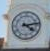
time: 4:13
